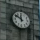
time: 11:51
